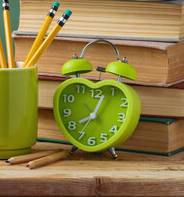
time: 8:03
